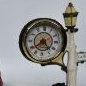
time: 4:38
